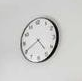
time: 4:40
